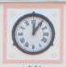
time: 12:05
